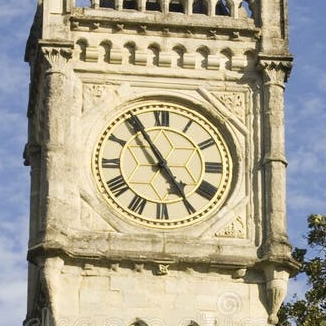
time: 4:54
